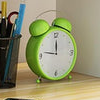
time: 11:46
